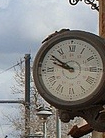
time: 9:51
